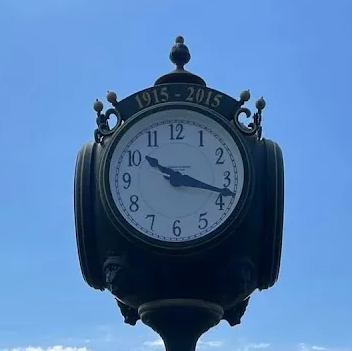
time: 10:18
